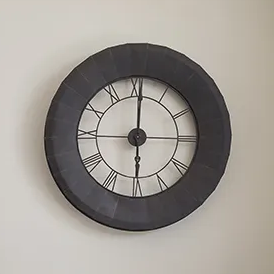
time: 6:00
